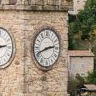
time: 2:41
